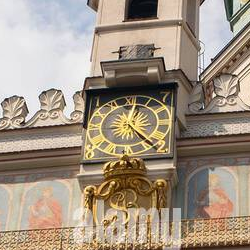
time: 12:22
